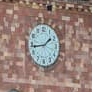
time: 1:43
